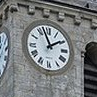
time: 1:57
